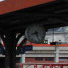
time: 8:26
